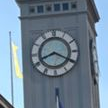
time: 8:19
